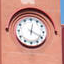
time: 12:19
